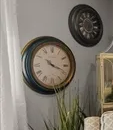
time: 10:18
